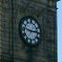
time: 2:46
